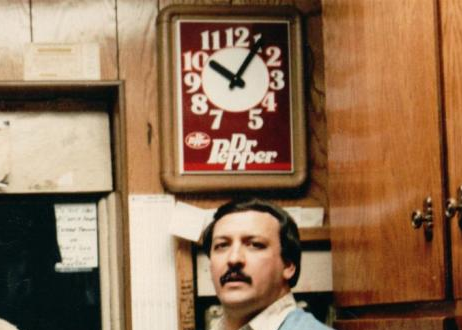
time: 10:06
